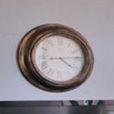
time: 4:13
